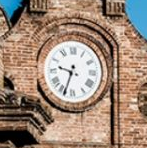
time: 9:33
